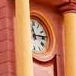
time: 11:14
